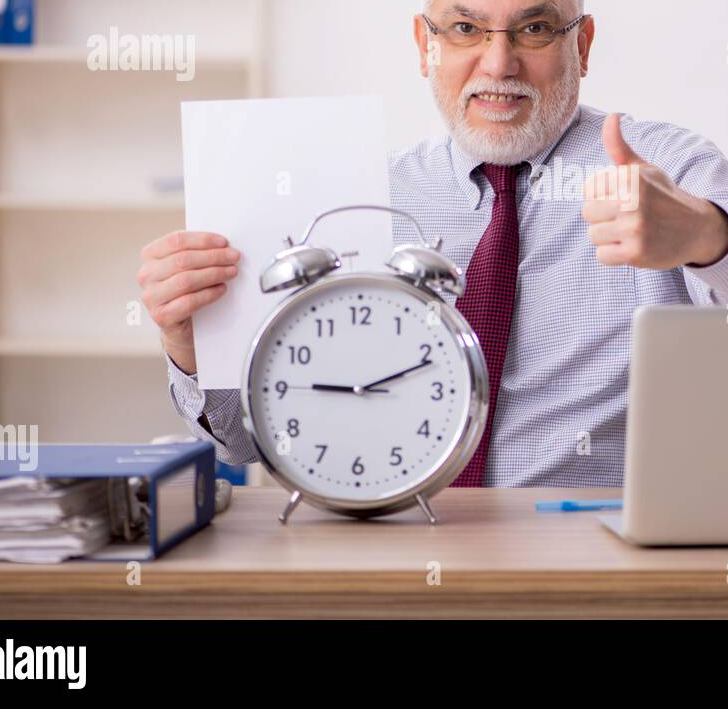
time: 9:11
